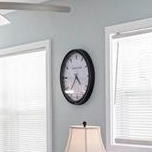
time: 4:35
